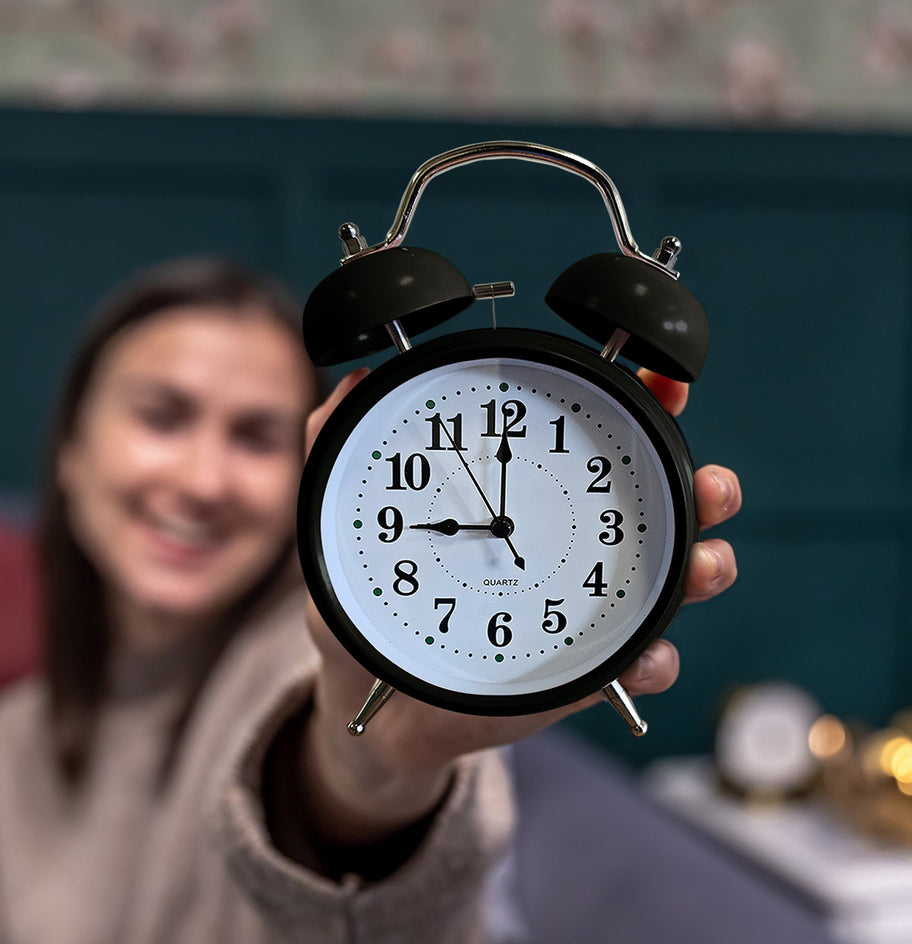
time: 9:00
